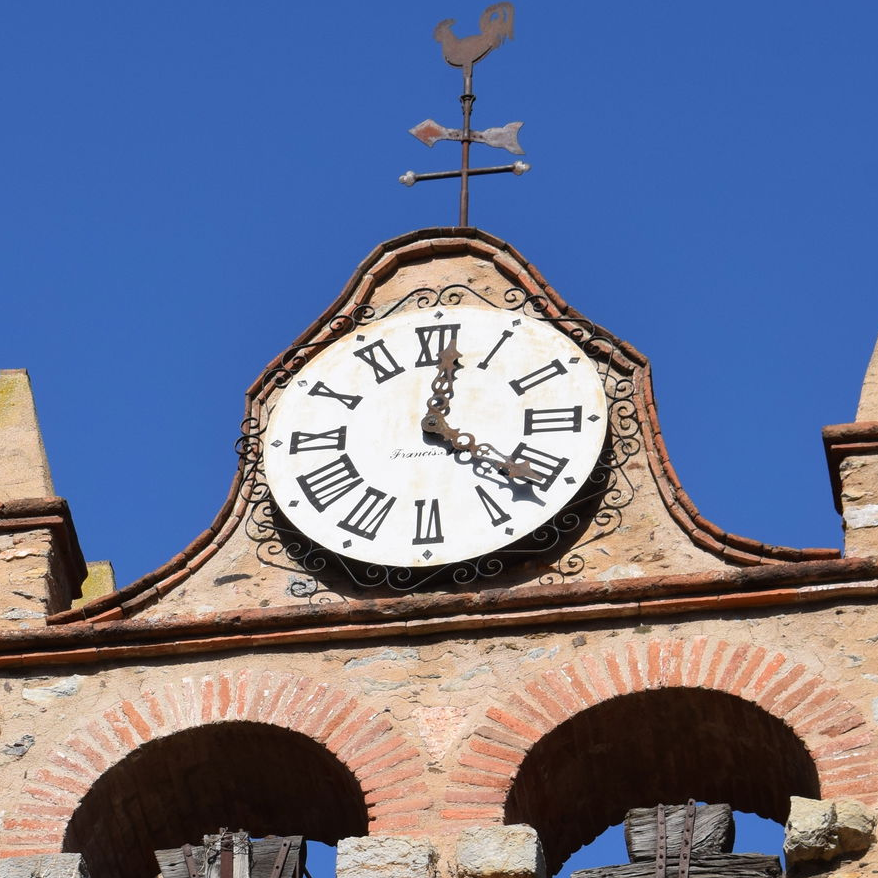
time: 12:21
